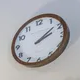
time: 2:08
